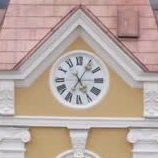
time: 5:05
